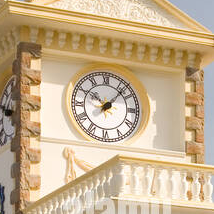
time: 10:07
